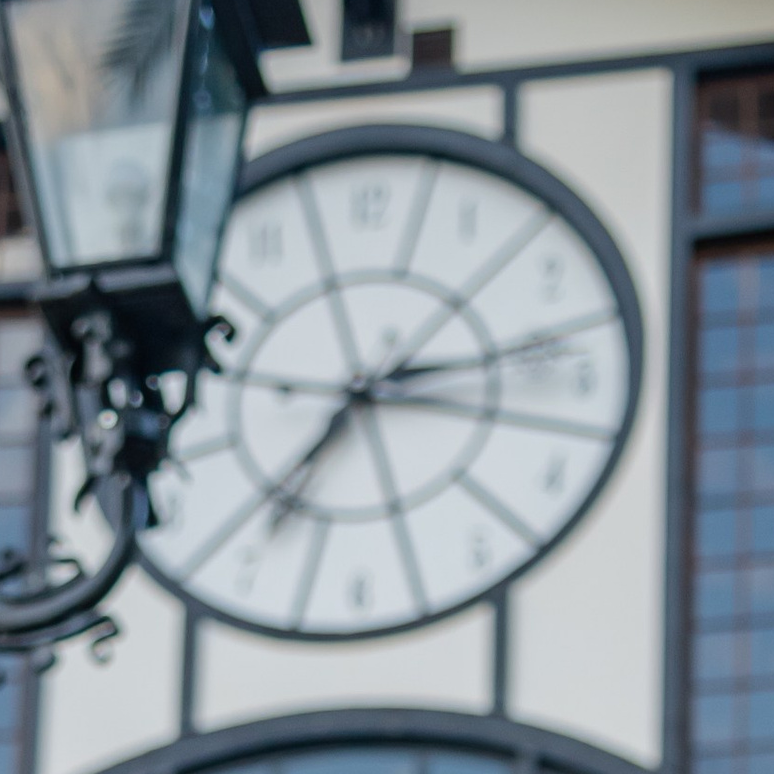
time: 7:13
